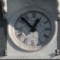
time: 12:52
